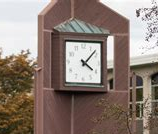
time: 4:07
